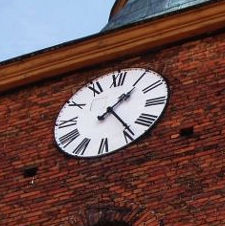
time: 1:23
